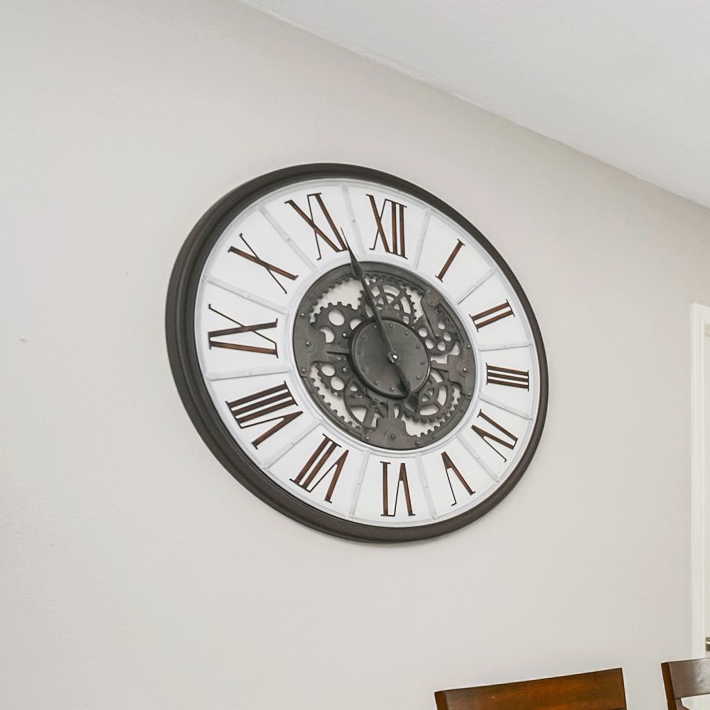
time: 4:56
